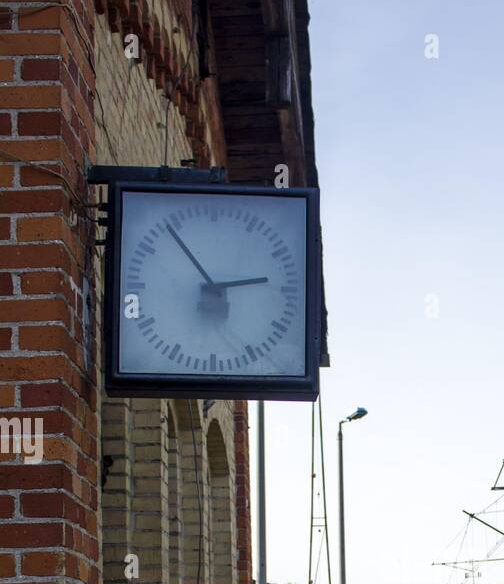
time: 2:53
